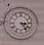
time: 3:23
